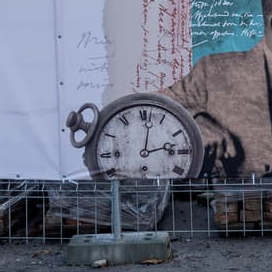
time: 3:01
